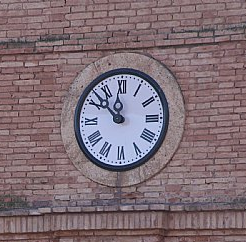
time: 11:52
